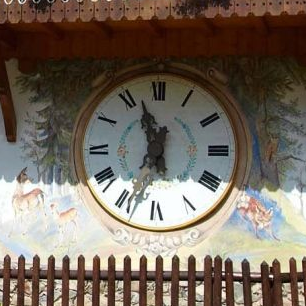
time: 11:33
